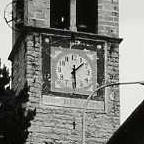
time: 1:28
